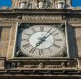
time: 7:07
